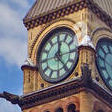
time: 12:23
